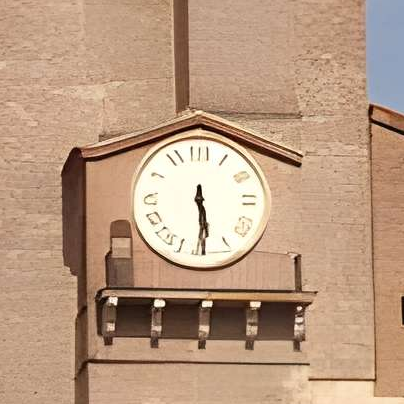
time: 5:29
